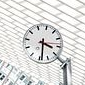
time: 3:28
